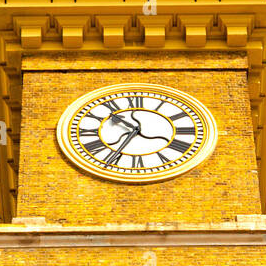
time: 10:34
